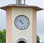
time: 10:50
